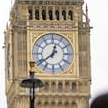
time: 12:38
